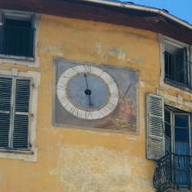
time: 5:59
